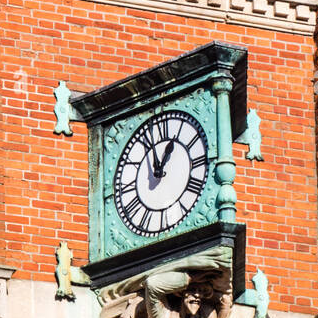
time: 12:57
